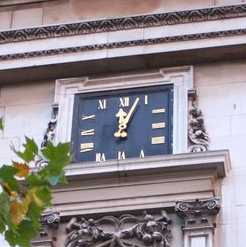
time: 12:03
